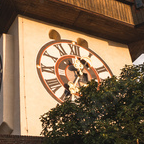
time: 10:34
